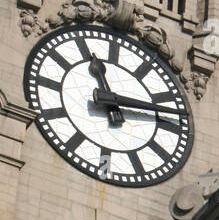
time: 11:13
